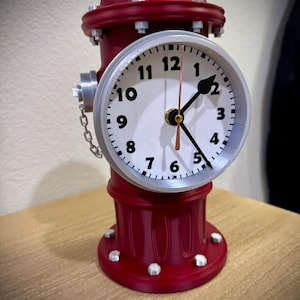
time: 1:24
